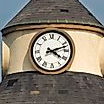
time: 4:12
